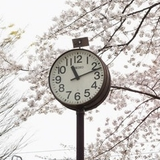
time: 11:12
